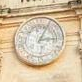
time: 3:04
